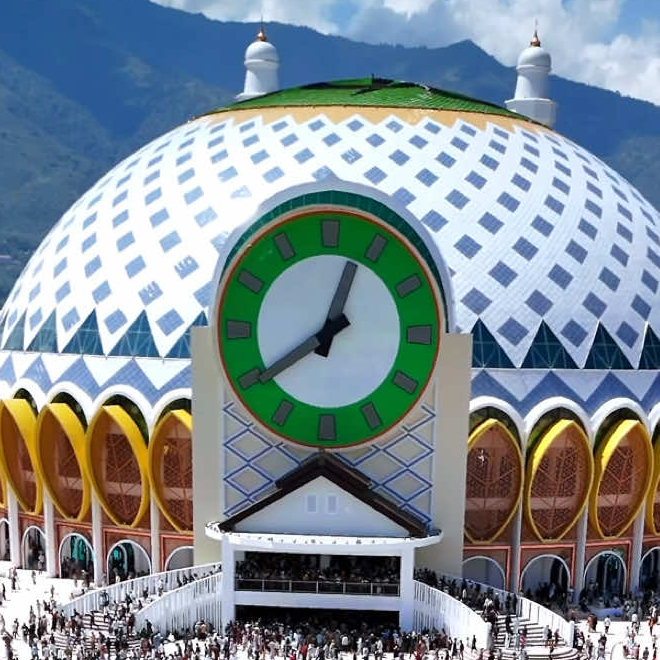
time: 12:39
